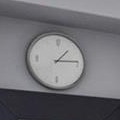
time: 1:13
